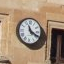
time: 11:19
